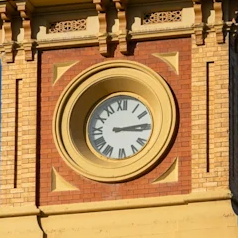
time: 3:14
